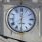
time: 12:29
